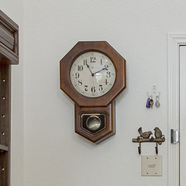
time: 11:10
